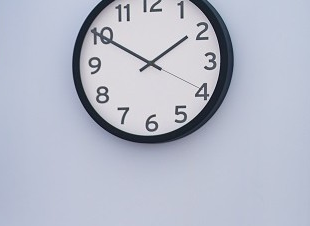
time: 1:50
